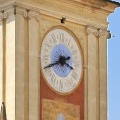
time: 3:40
